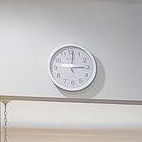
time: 3:01
